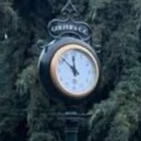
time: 11:52
